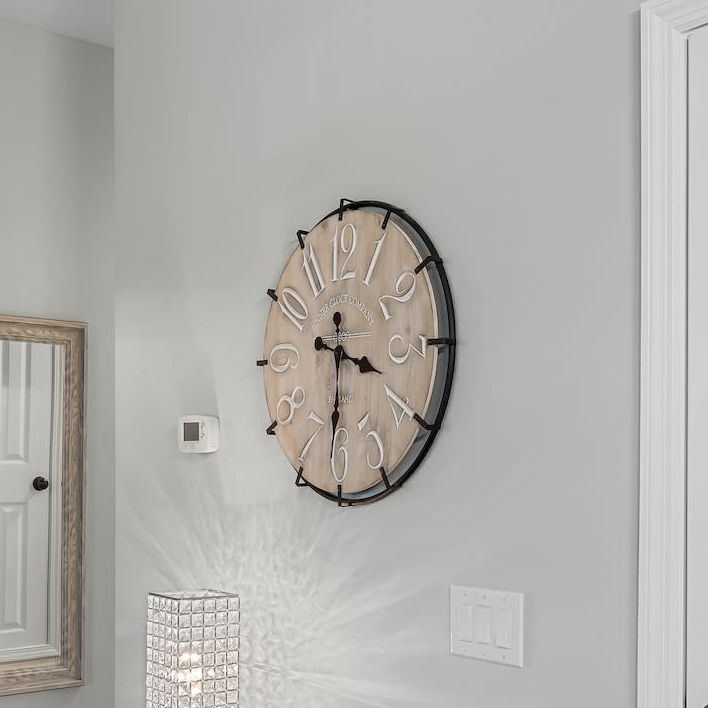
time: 3:31
